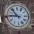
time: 10:45
